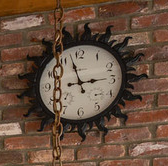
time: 2:57
